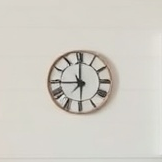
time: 8:59
